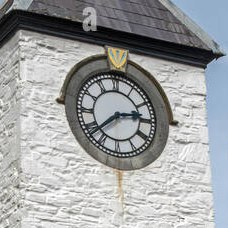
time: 2:38
